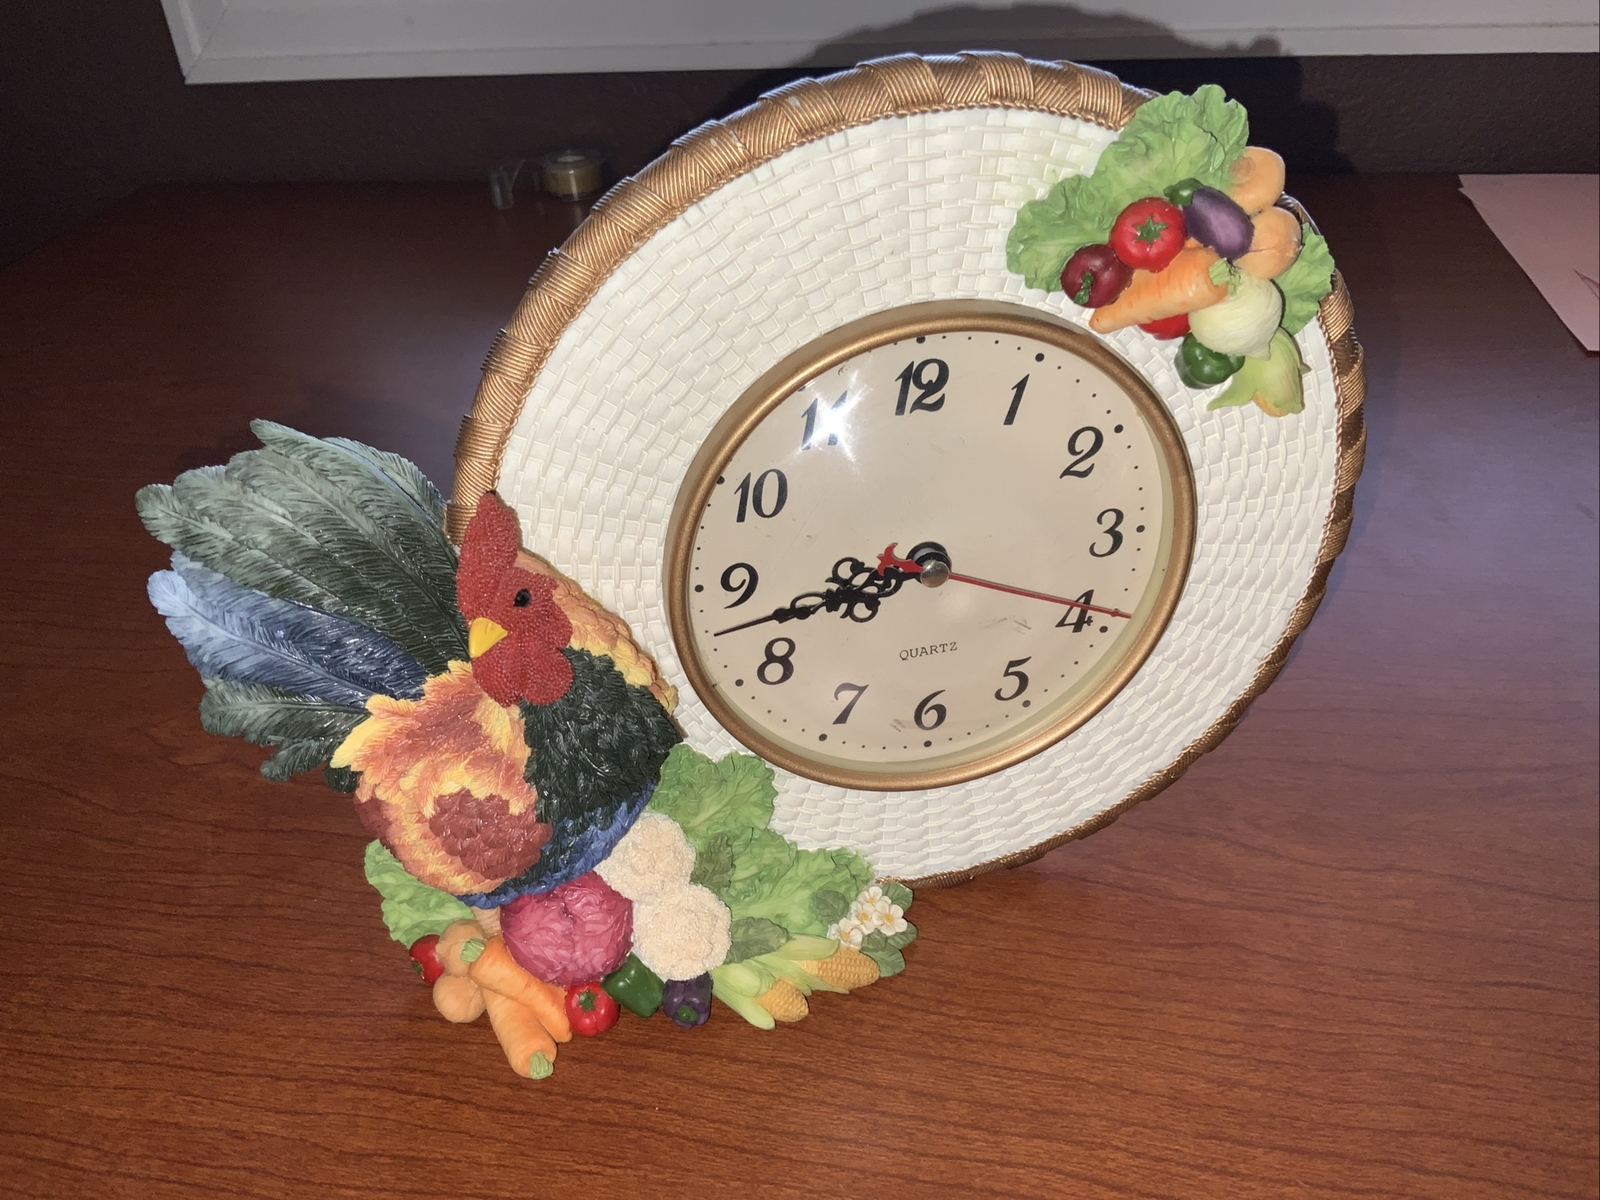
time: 3:42
